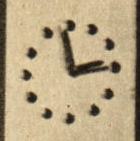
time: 2:58
